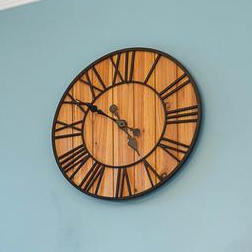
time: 4:50
